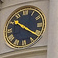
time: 10:20
